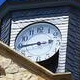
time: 2:44
